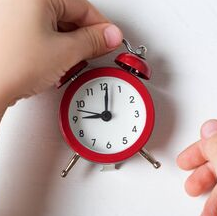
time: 9:01
